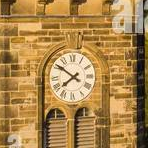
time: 7:50
